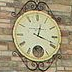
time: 12:18
